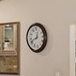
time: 12:41
